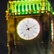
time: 11:11
